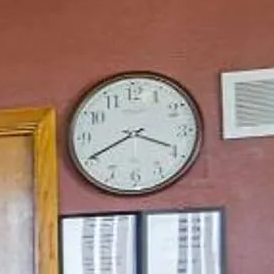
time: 3:40
